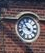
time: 3:53
